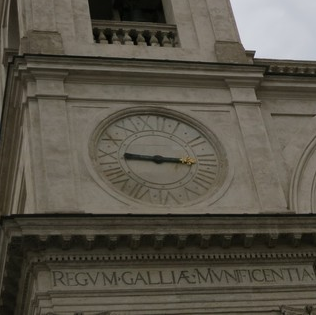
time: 9:16
